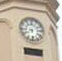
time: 5:40
